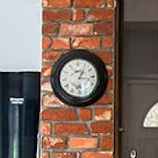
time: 1:16
